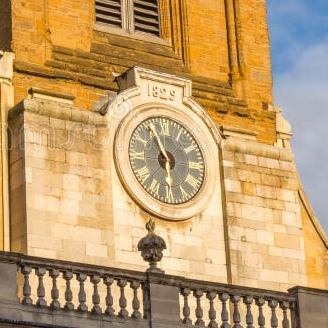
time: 5:56
